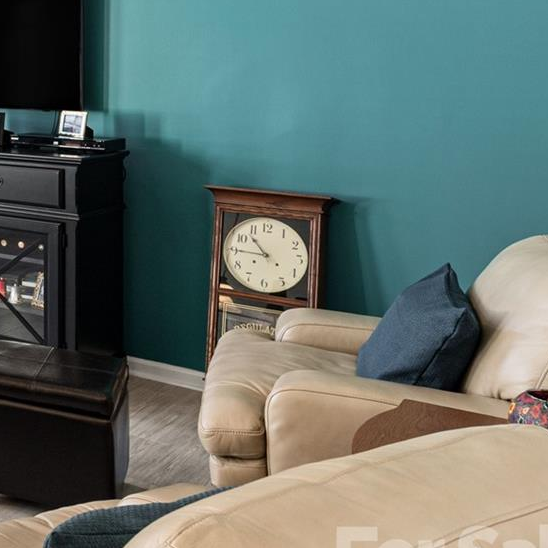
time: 10:45
